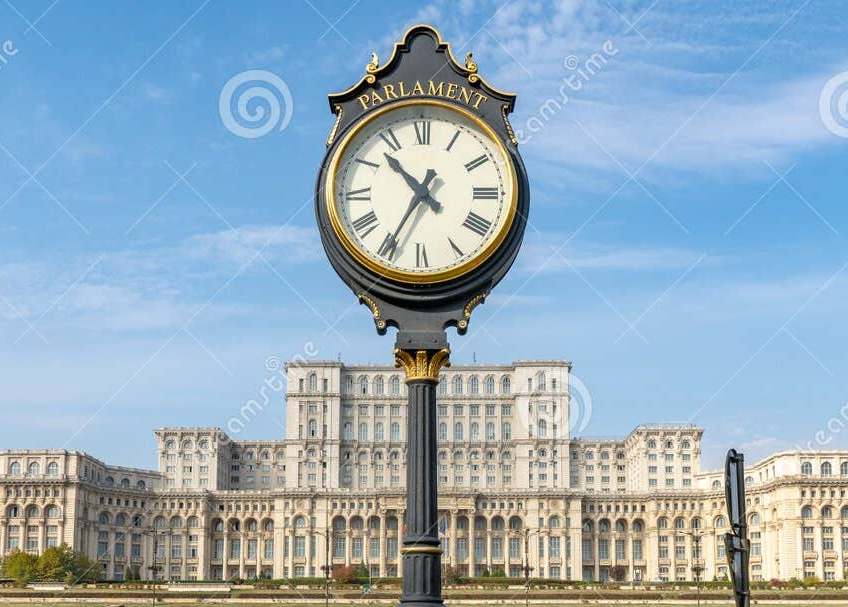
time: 10:35
